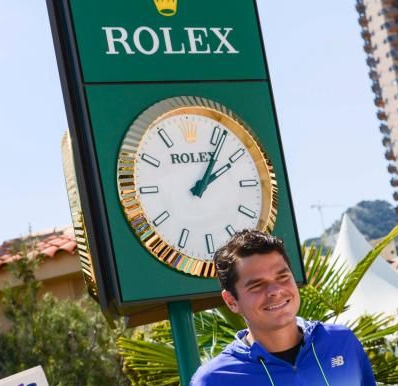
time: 2:06
